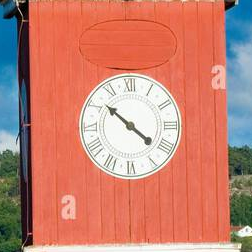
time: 10:21
